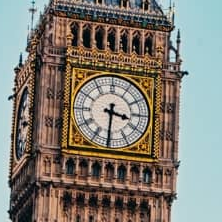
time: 3:30
